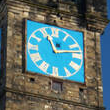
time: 11:12
